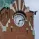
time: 7:12
